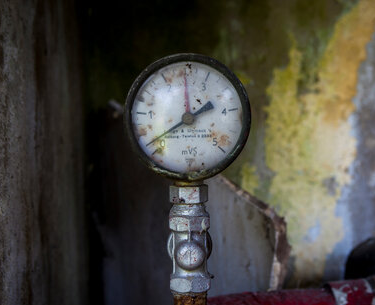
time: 1:59
